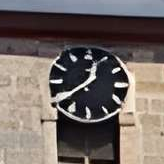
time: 12:38
